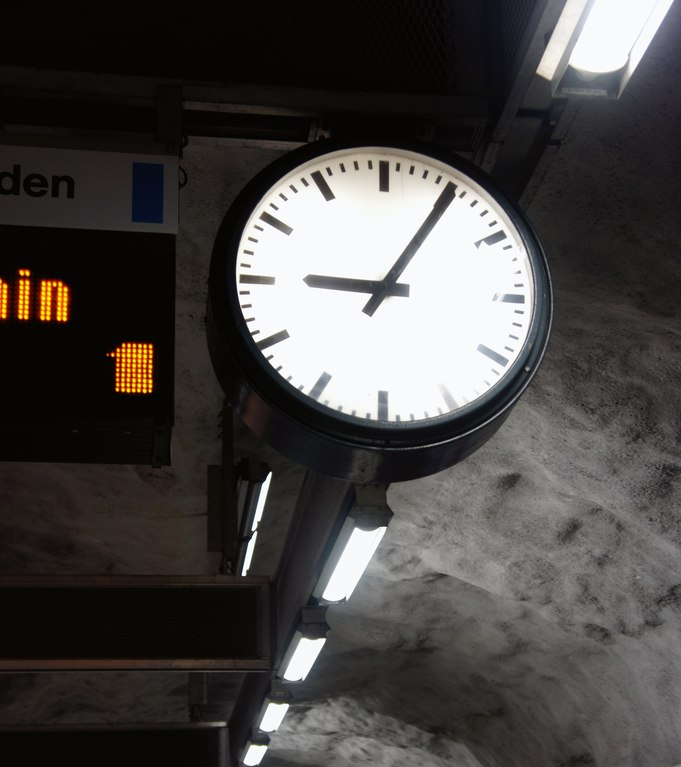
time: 9:05
